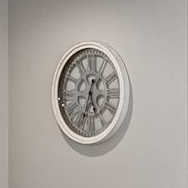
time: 5:33
